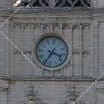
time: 3:34
